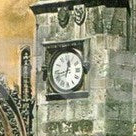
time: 12:42
